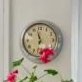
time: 11:32
